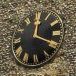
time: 12:19
